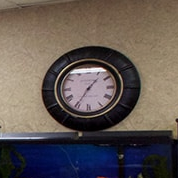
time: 1:35
